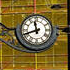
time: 11:41
